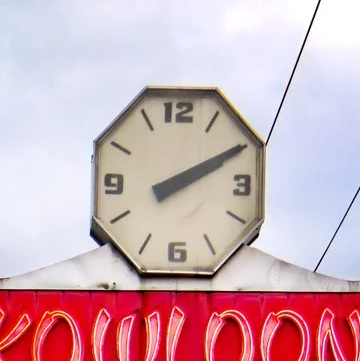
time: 2:10
